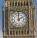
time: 2:00
